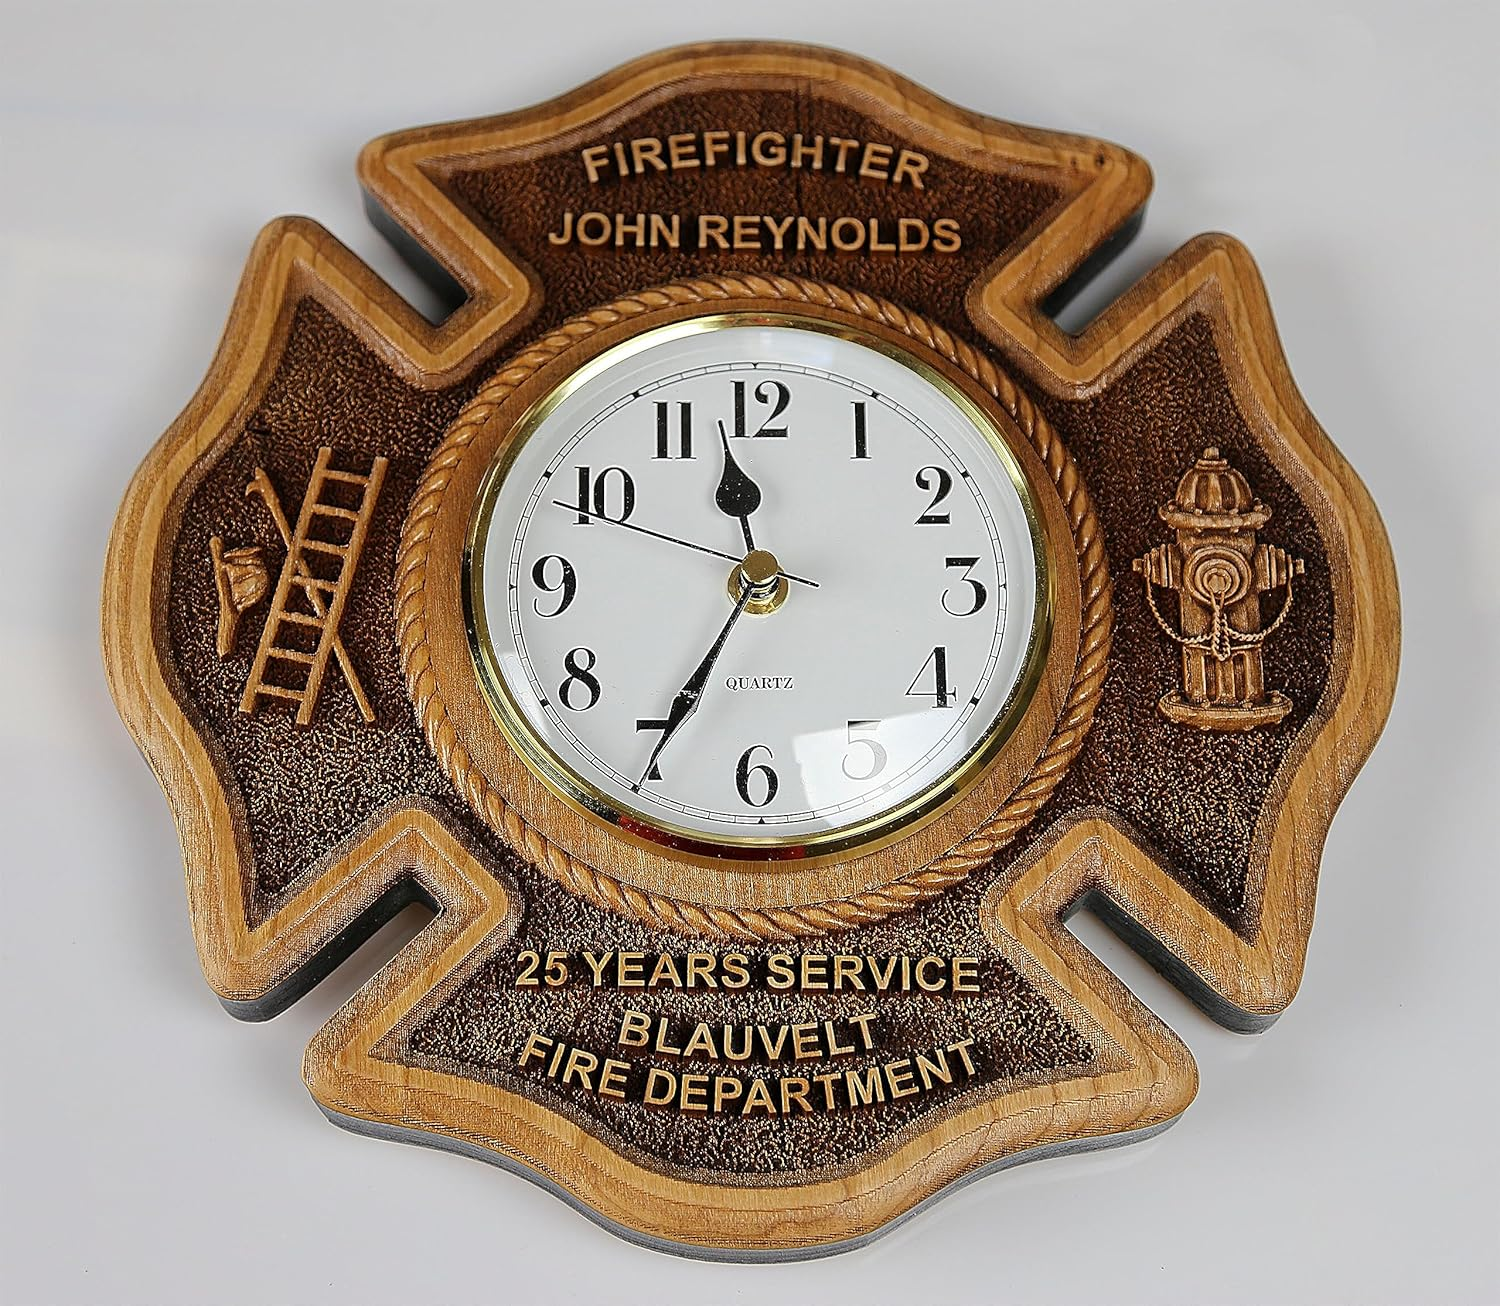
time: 11:34
